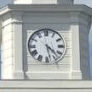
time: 4:27
